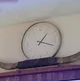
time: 1:18
